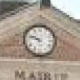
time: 9:47
